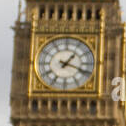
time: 1:18
